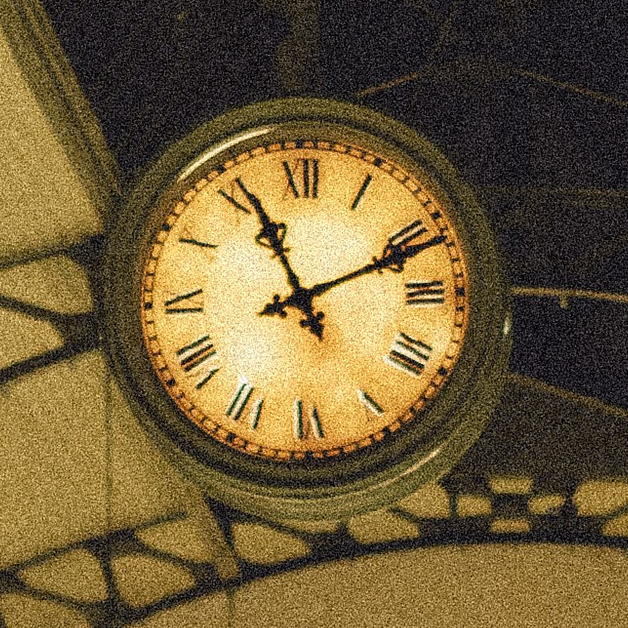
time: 11:11
